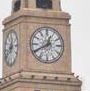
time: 12:40
